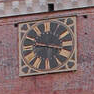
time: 9:17
